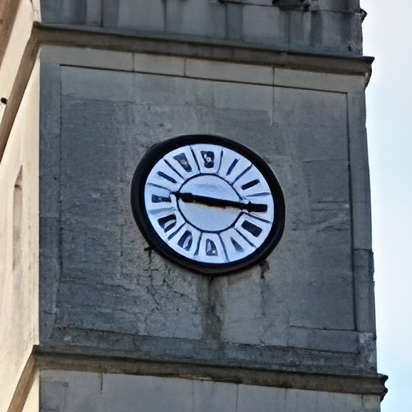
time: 9:15
